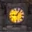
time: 9:07
